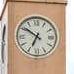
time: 6:51
